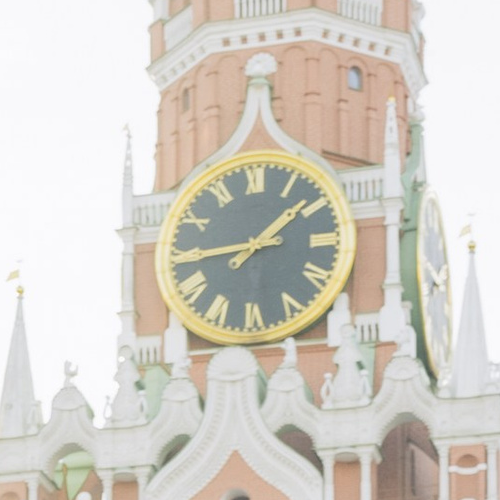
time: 1:44
